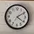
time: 4:09
